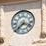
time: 7:18
